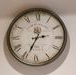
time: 2:33
